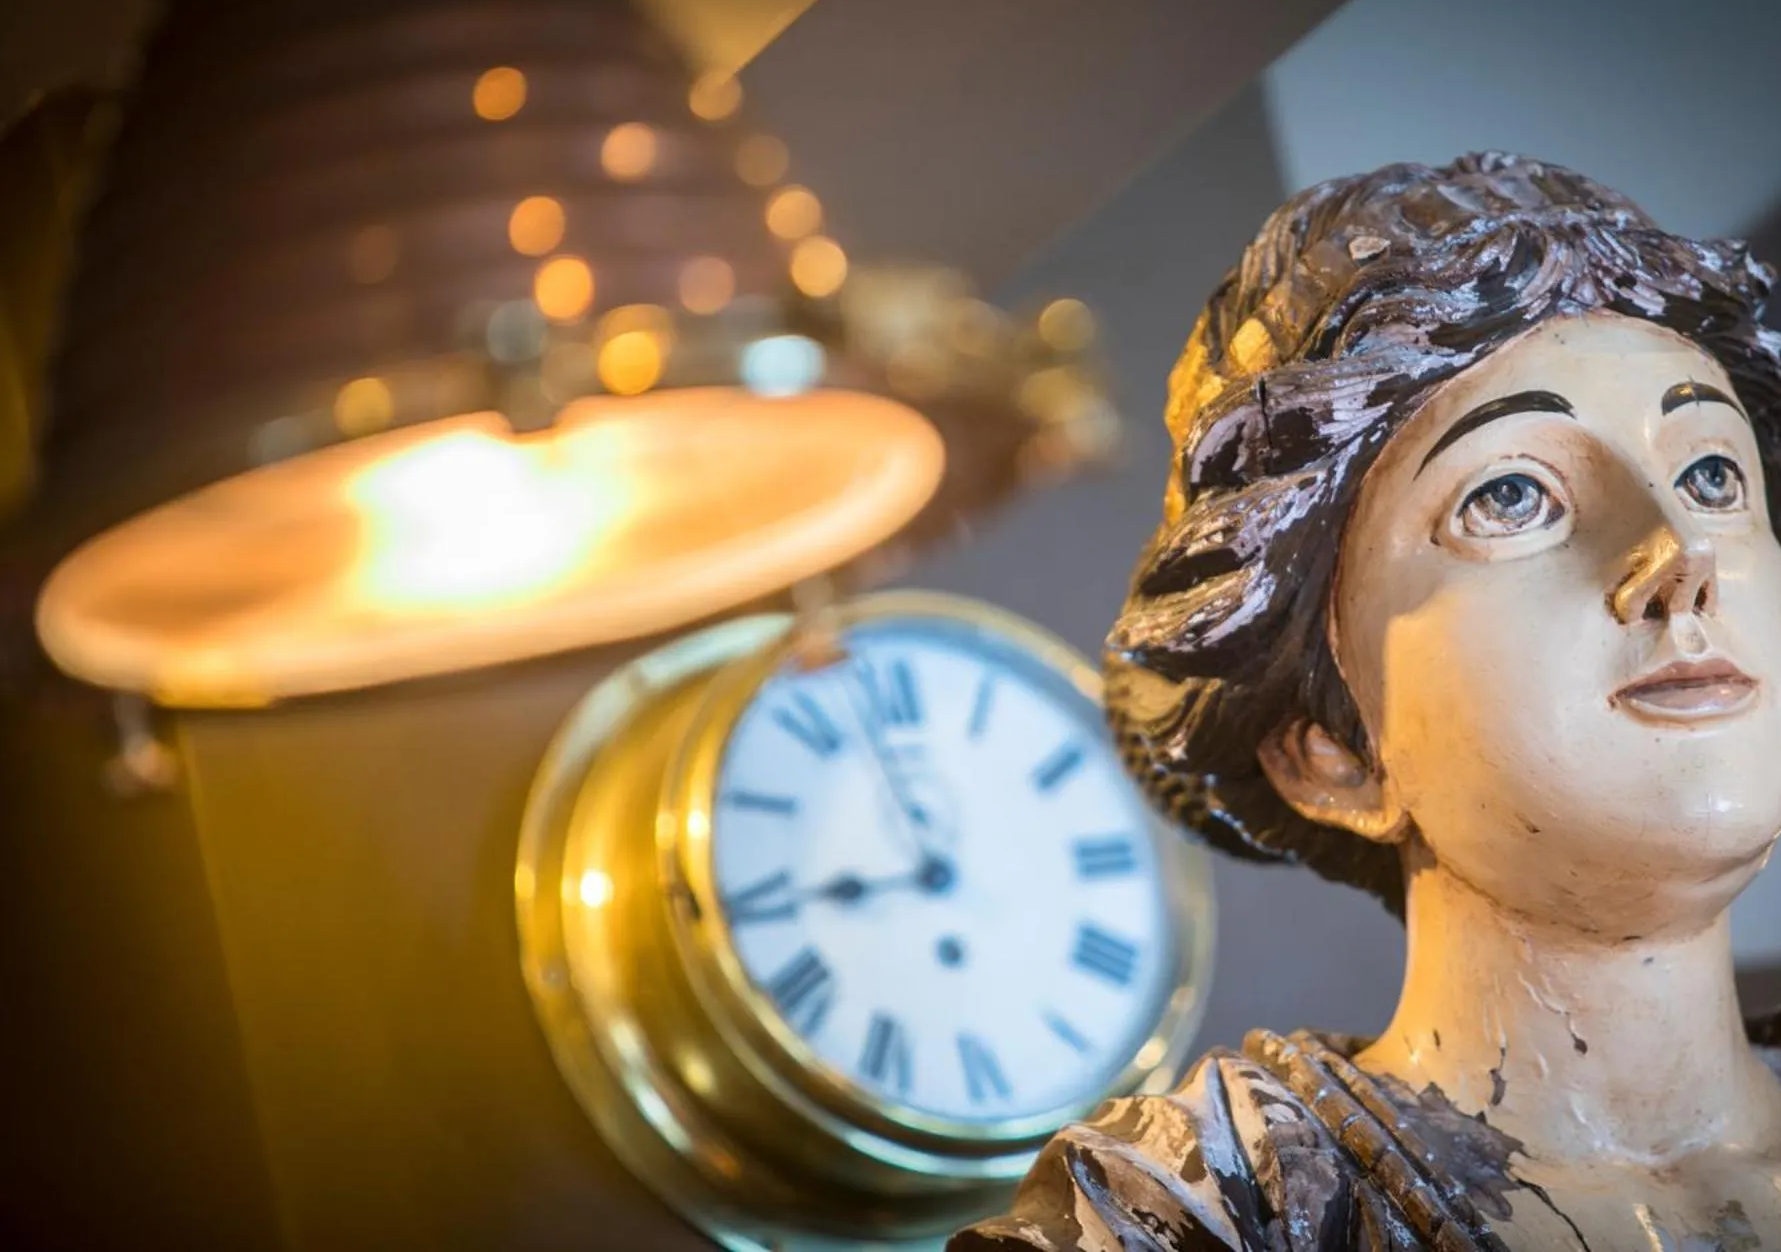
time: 8:58
